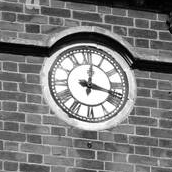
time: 12:18
